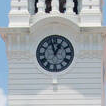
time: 12:57
